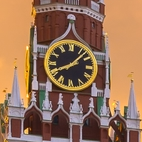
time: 8:07
